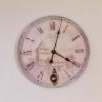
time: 4:02
